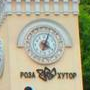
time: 4:02
